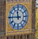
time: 11:45
